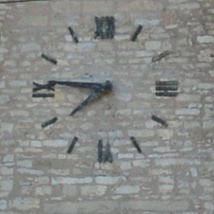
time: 7:46
